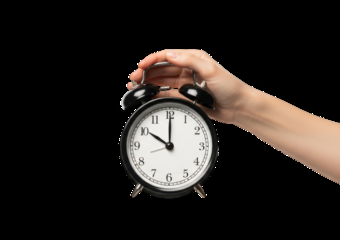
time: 10:00
